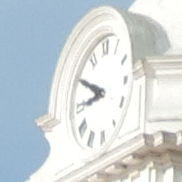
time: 8:50
